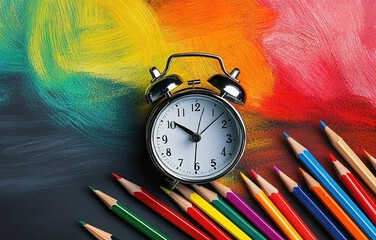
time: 10:07
